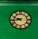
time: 9:43
